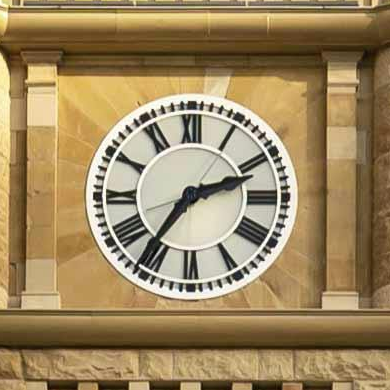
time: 2:36
